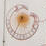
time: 2:35
